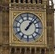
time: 1:07
